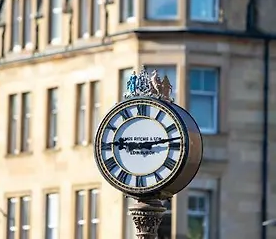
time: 9:13
